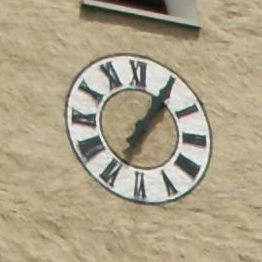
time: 1:05
